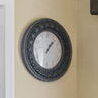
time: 1:07
